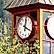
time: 4:02
